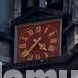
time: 4:37
